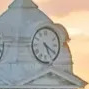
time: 5:20
